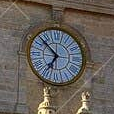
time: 6:52
